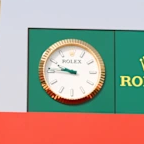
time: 9:45
